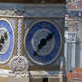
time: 1:36
